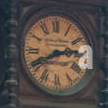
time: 2:40
